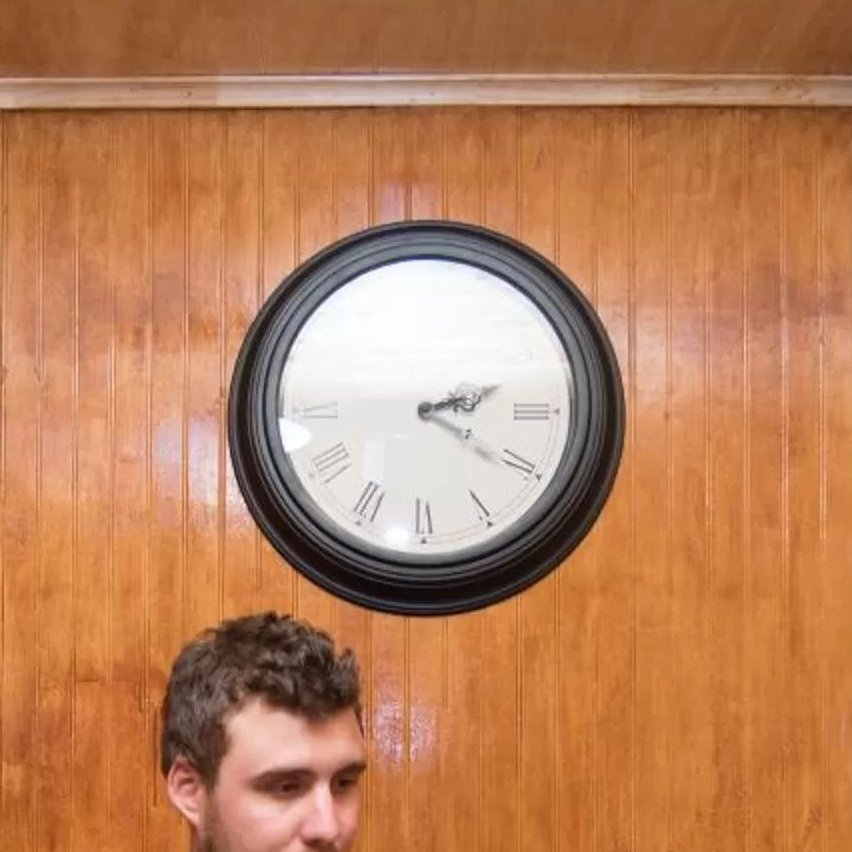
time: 2:20
